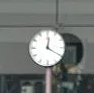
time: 12:20
